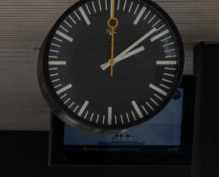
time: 2:08
